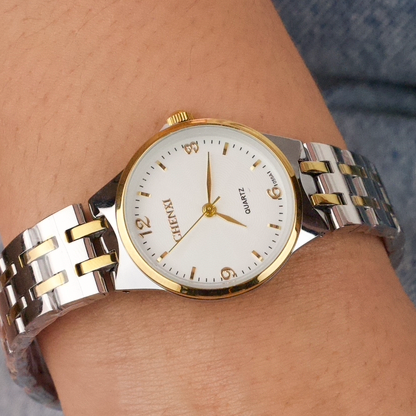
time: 4:02
